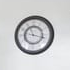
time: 11:17
